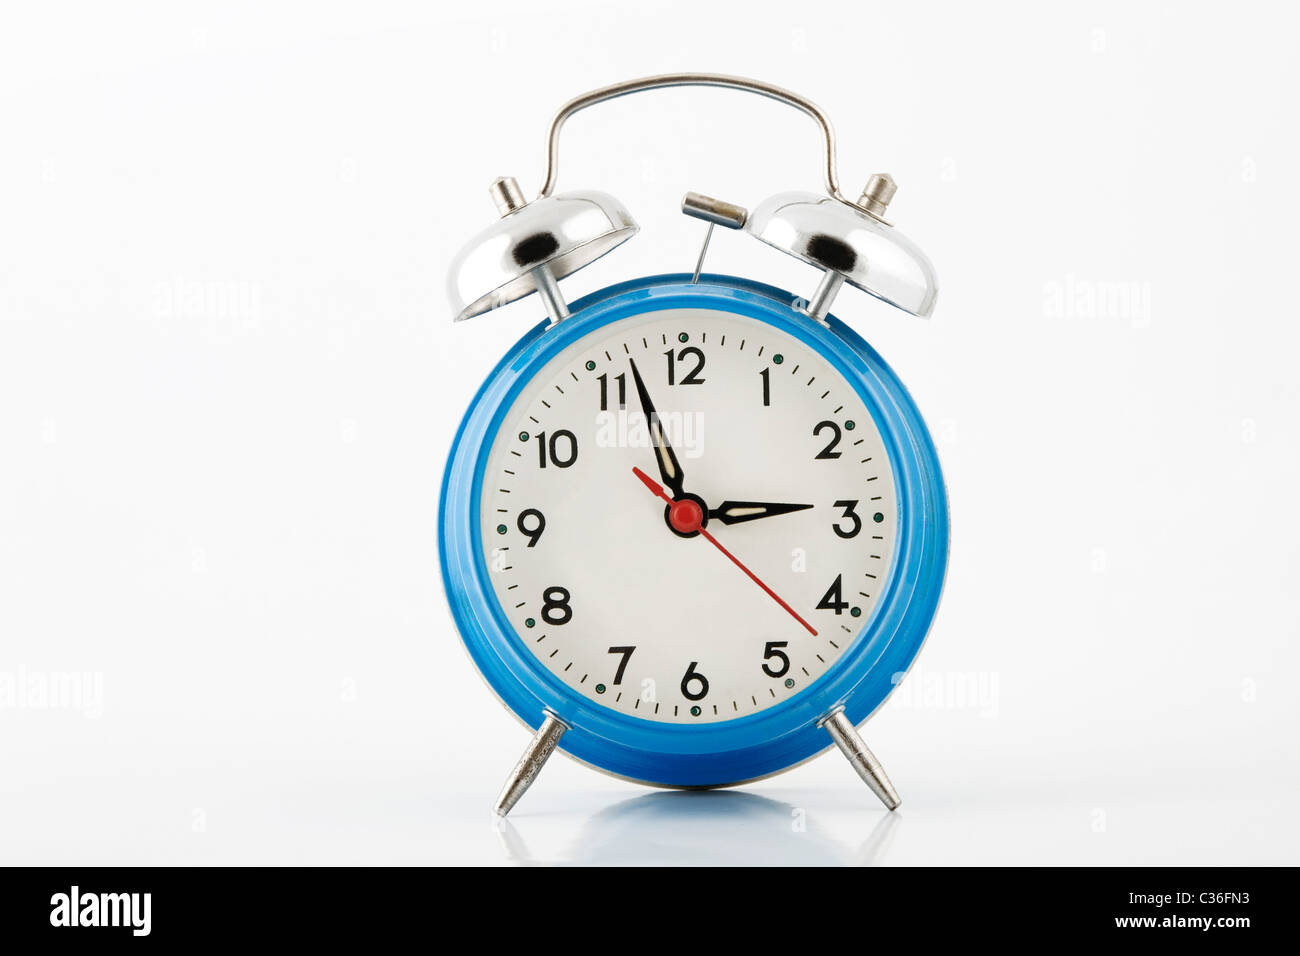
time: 2:57
